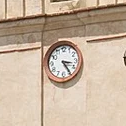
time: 3:24
